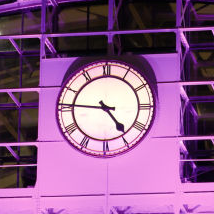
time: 4:45
